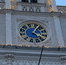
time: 4:04
